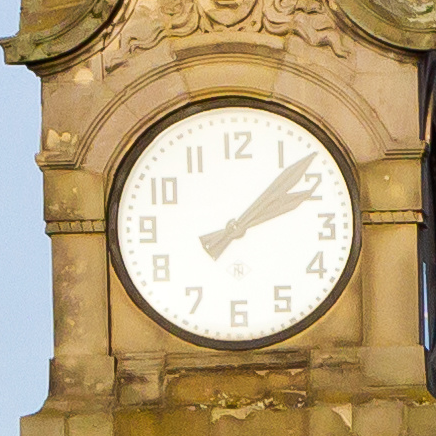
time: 2:07
